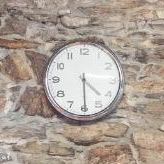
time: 4:29
